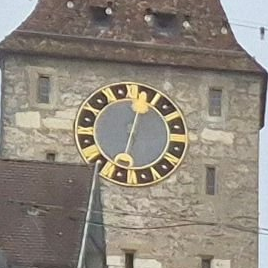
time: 12:32
